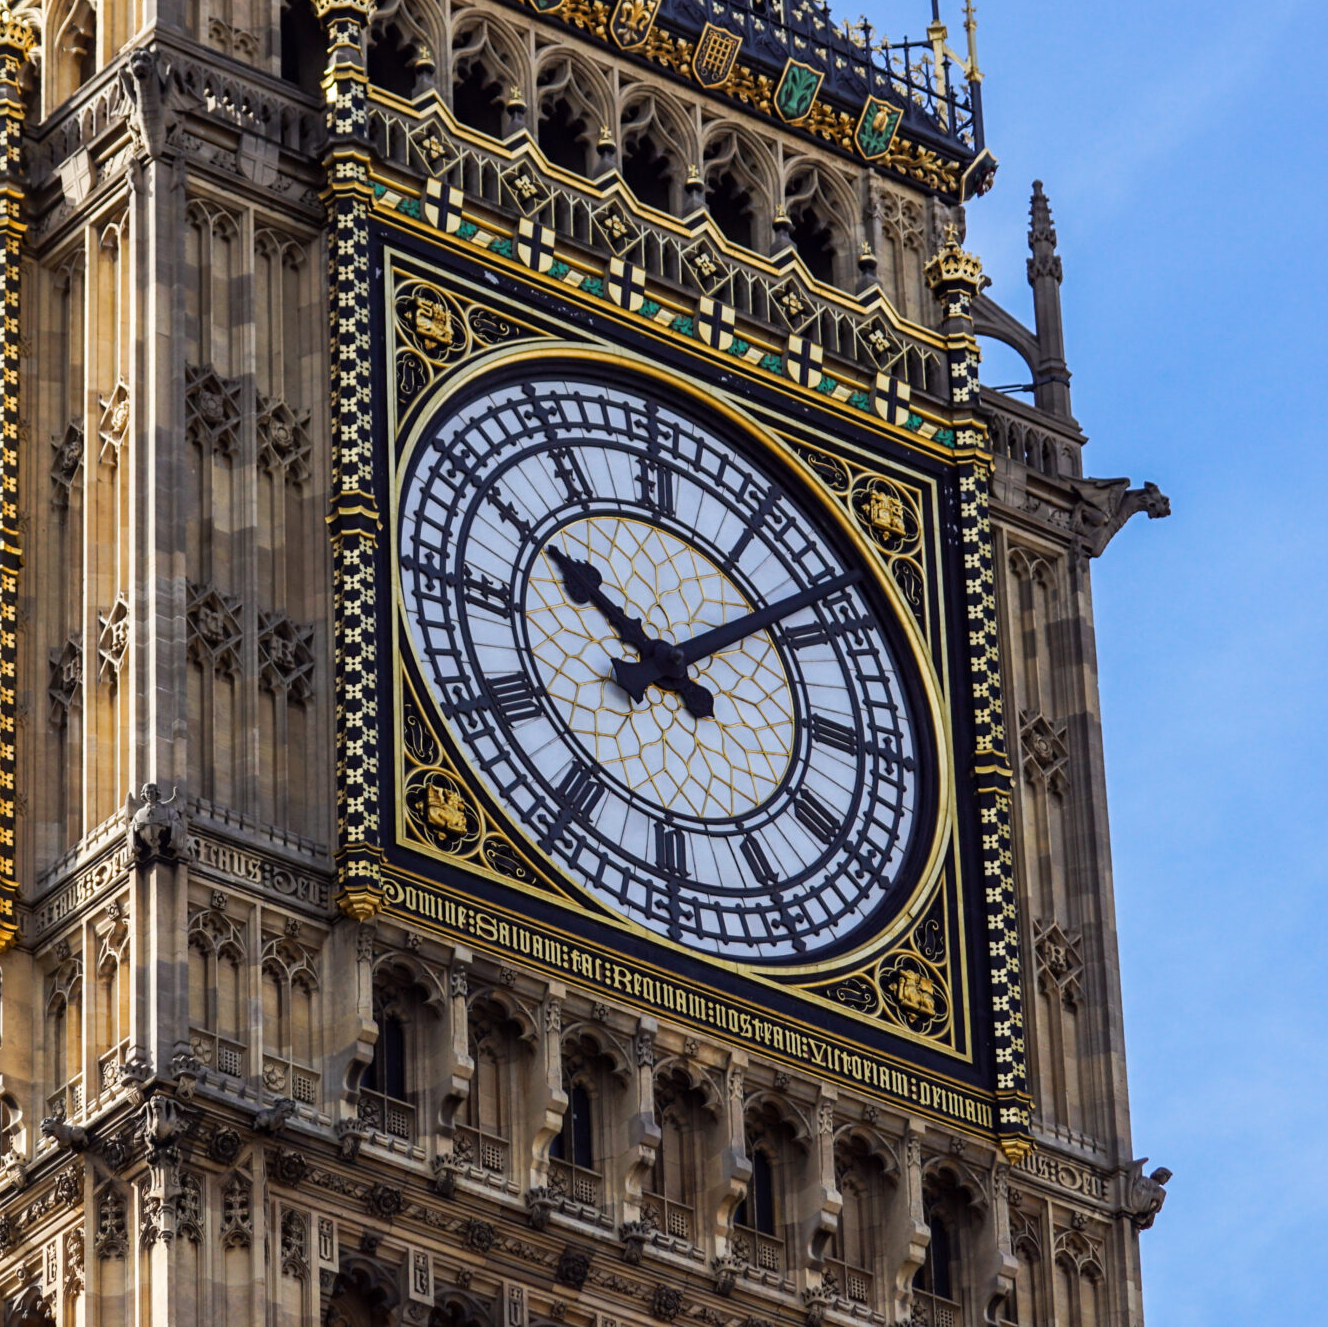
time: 10:08
